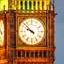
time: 9:52
